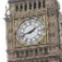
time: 1:42
